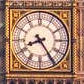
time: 8:24
